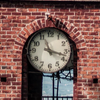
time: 11:17
